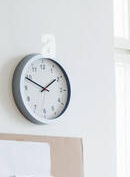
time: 1:49
